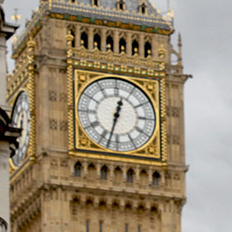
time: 12:32
